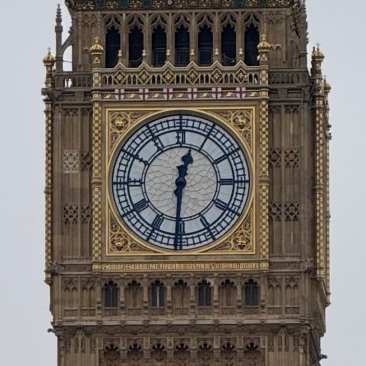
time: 12:30
